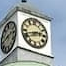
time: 2:42
